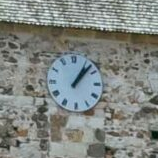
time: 1:07
